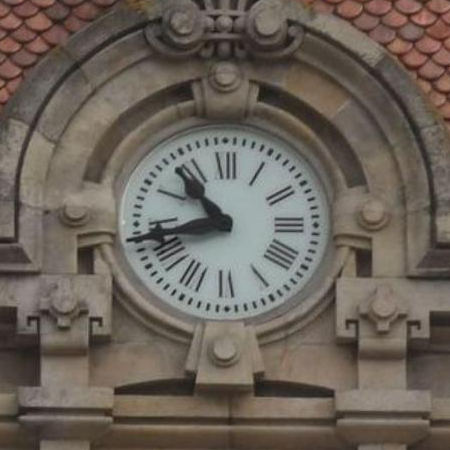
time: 10:42
